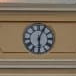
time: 6:04
